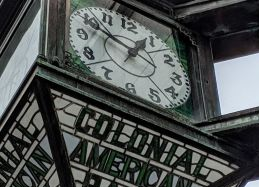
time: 12:49
